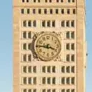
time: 3:45
